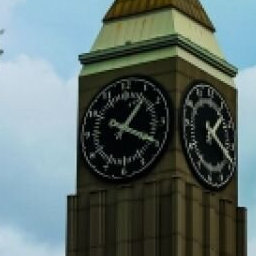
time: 1:19
